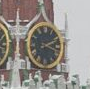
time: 2:18
